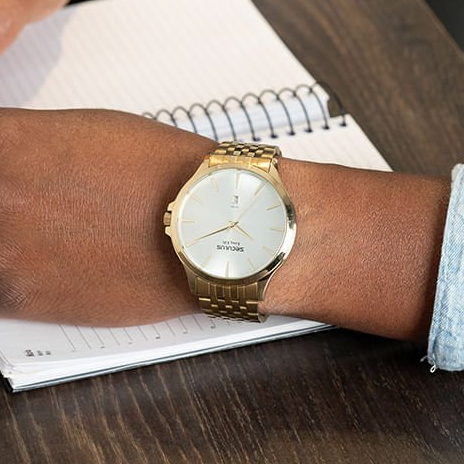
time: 8:01
